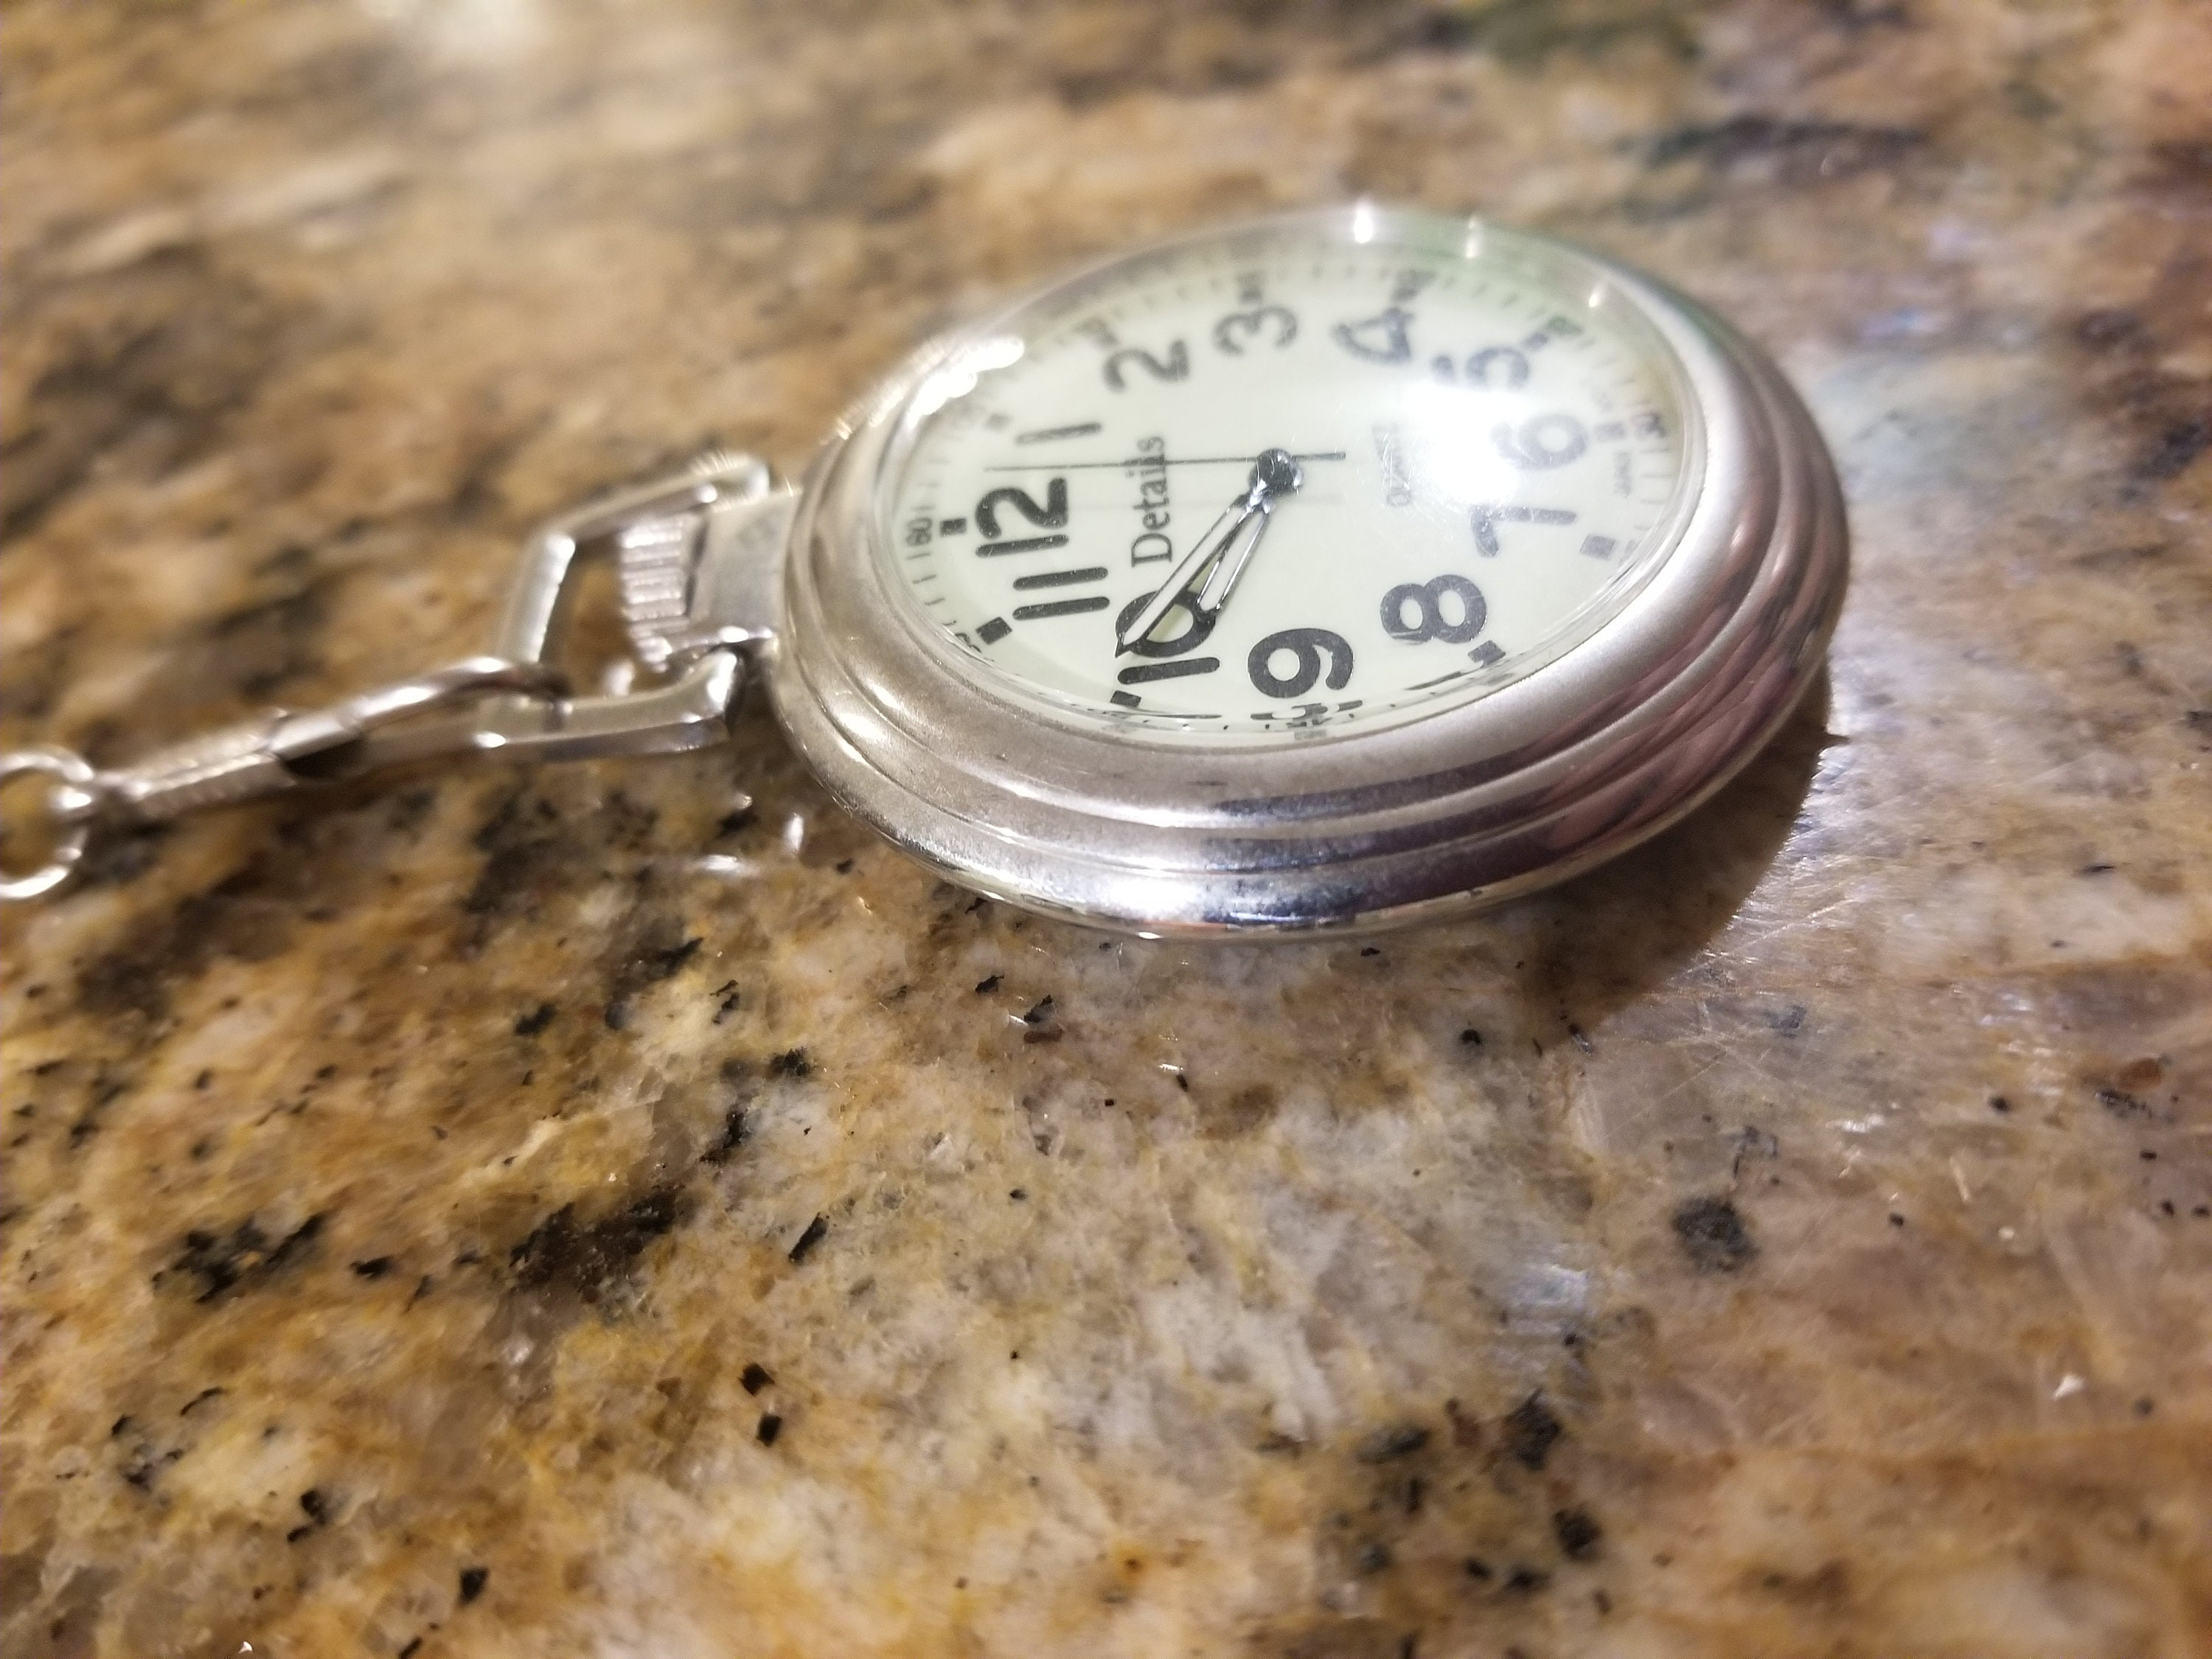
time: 8:34
